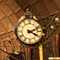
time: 4:10
